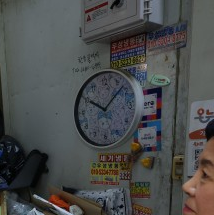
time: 10:07
